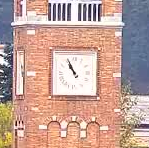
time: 10:55
